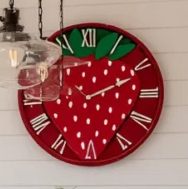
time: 2:11
